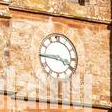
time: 3:45
